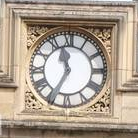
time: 11:34
